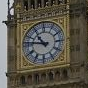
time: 10:46
